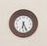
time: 6:25
